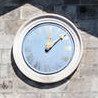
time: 12:08
